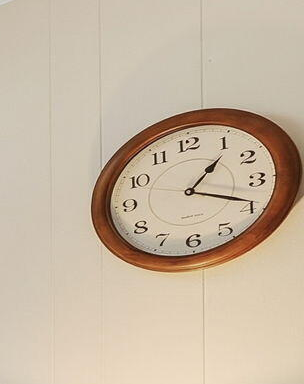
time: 1:18
